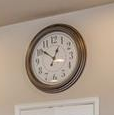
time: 12:51
